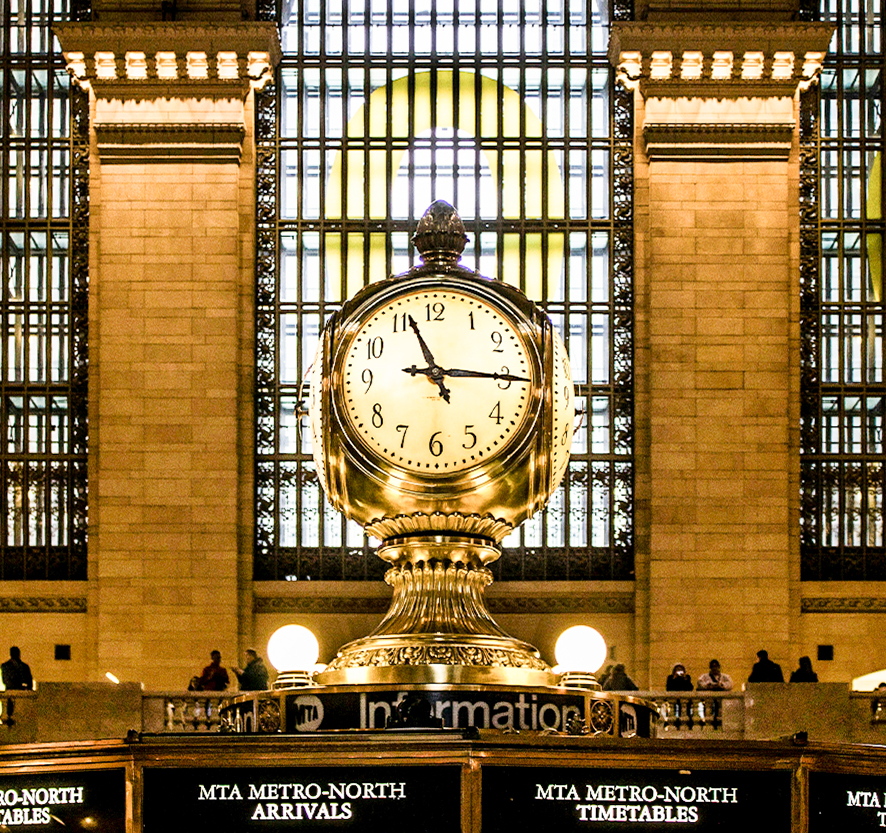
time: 11:15
